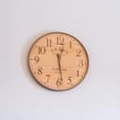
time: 12:28
